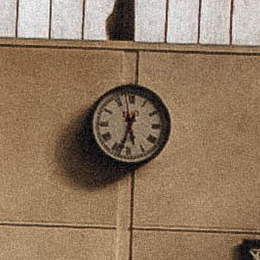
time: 5:33
